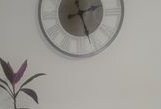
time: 8:26
